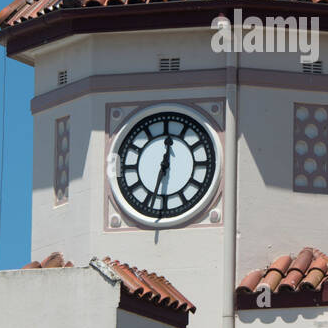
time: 12:33
